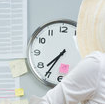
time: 7:35
